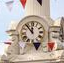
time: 11:53
